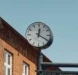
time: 12:20
